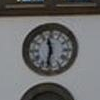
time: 11:32
